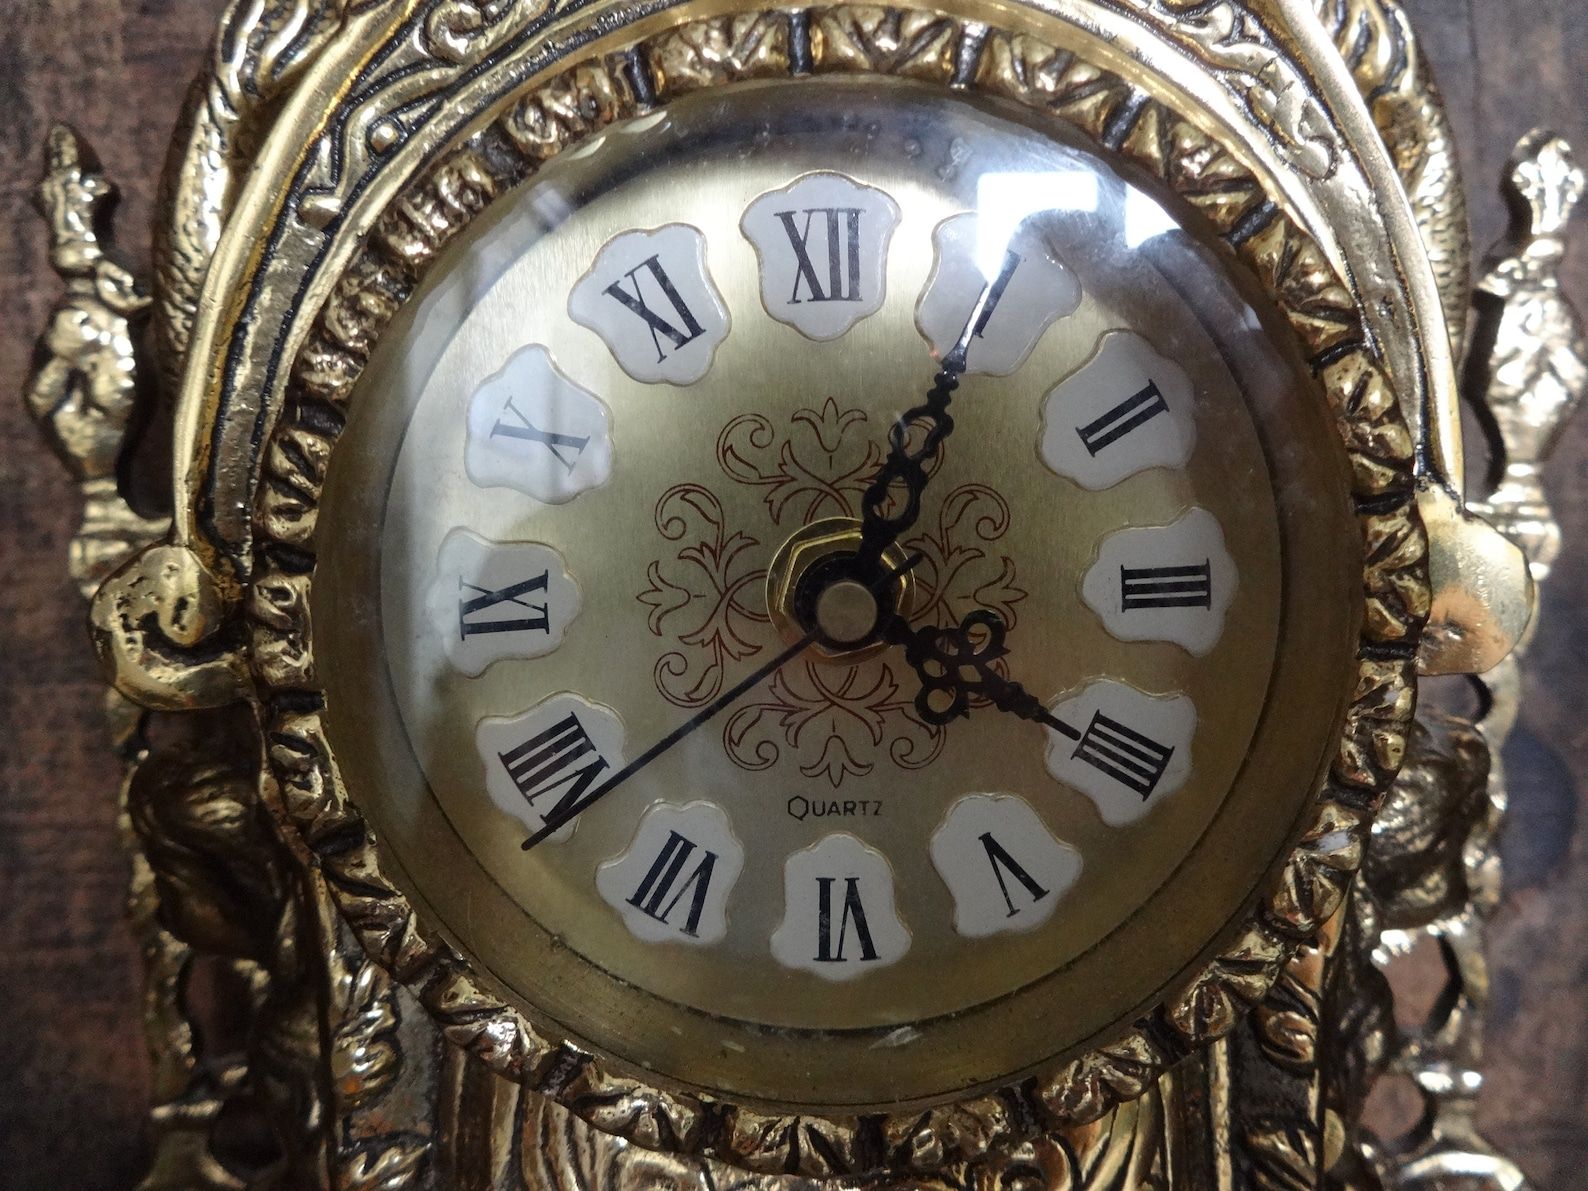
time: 4:04
